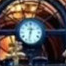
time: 12:32
